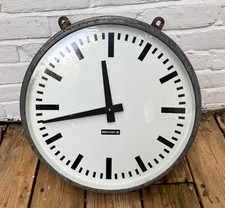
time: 11:42
